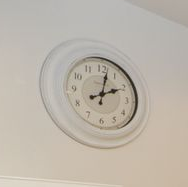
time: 2:01
